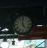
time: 4:59
